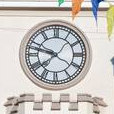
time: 7:47
